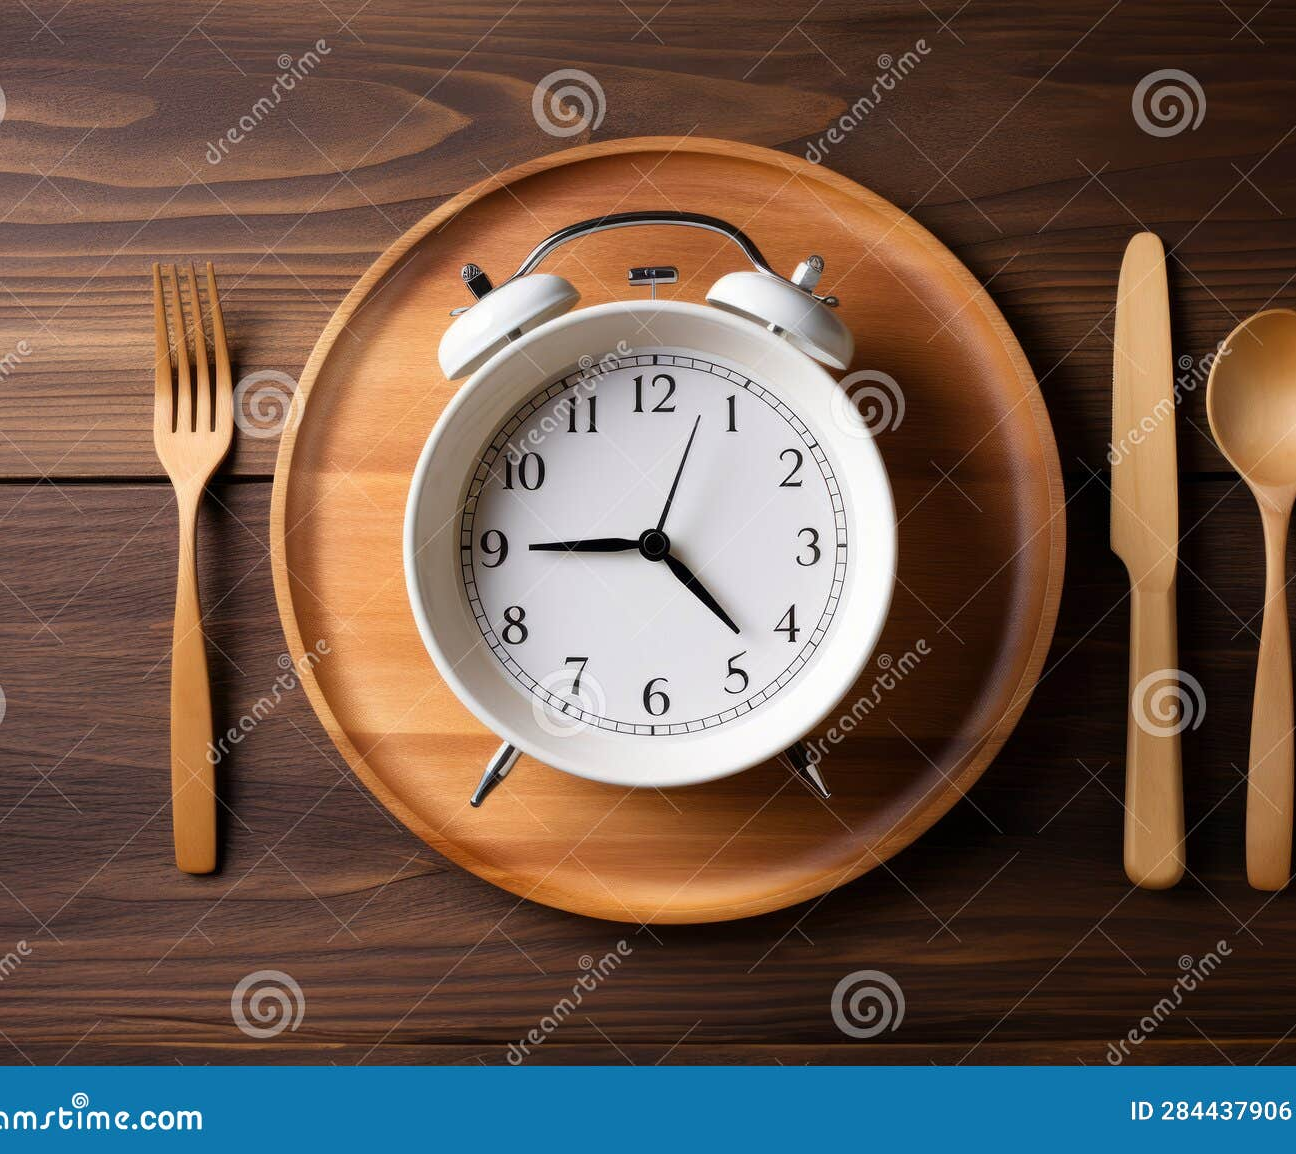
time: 4:45
